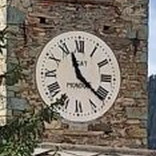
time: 11:21
